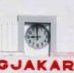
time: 8:59
